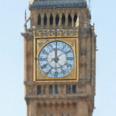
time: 7:59
